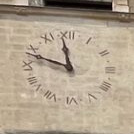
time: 11:47
